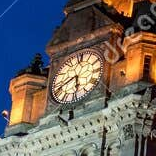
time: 5:40
